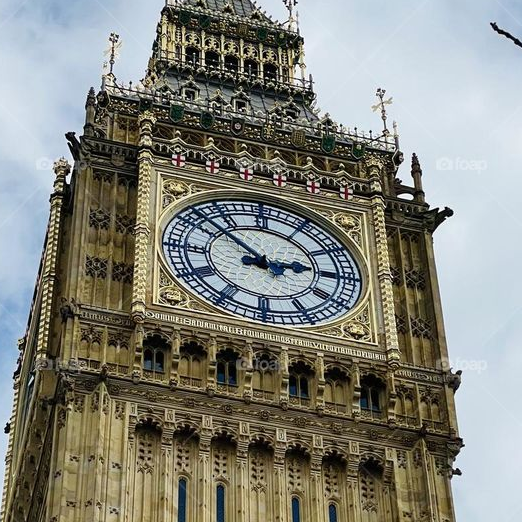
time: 2:52
